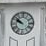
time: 9:51
